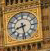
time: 8:28
